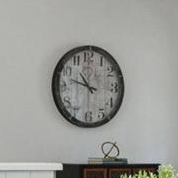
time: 10:47
